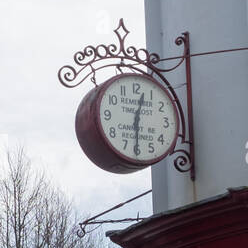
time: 12:30
